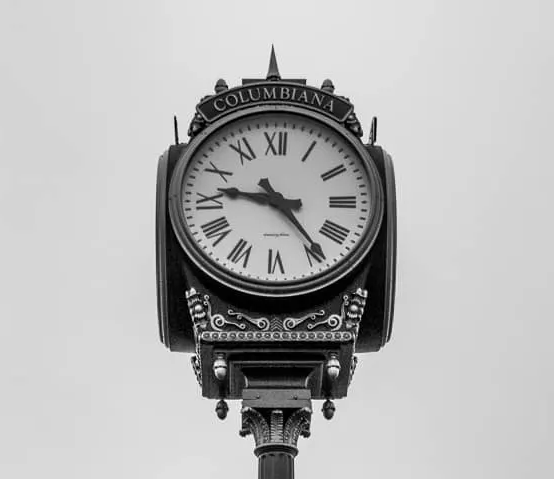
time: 9:23
